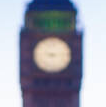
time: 9:14
